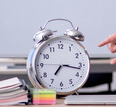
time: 7:16
